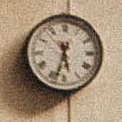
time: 5:32
